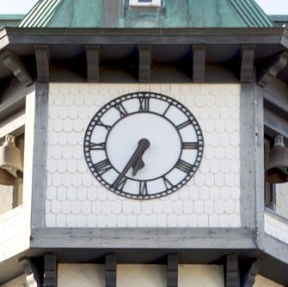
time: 6:35
